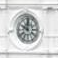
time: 10:00
